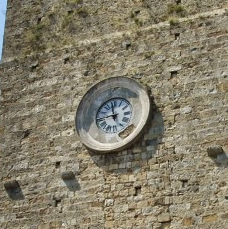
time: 11:42
